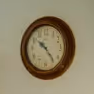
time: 10:23
